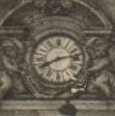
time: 8:12
